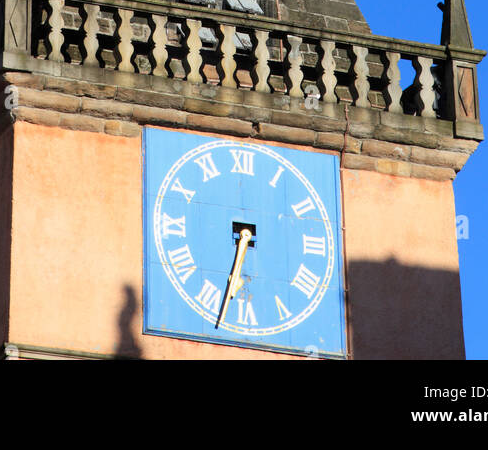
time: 6:32
